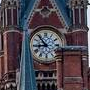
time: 8:53
